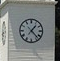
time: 1:22
